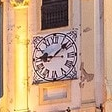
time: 9:08
